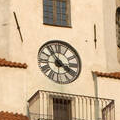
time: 3:53
